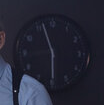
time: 8:56
